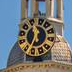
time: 11:33
